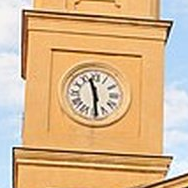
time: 11:29
